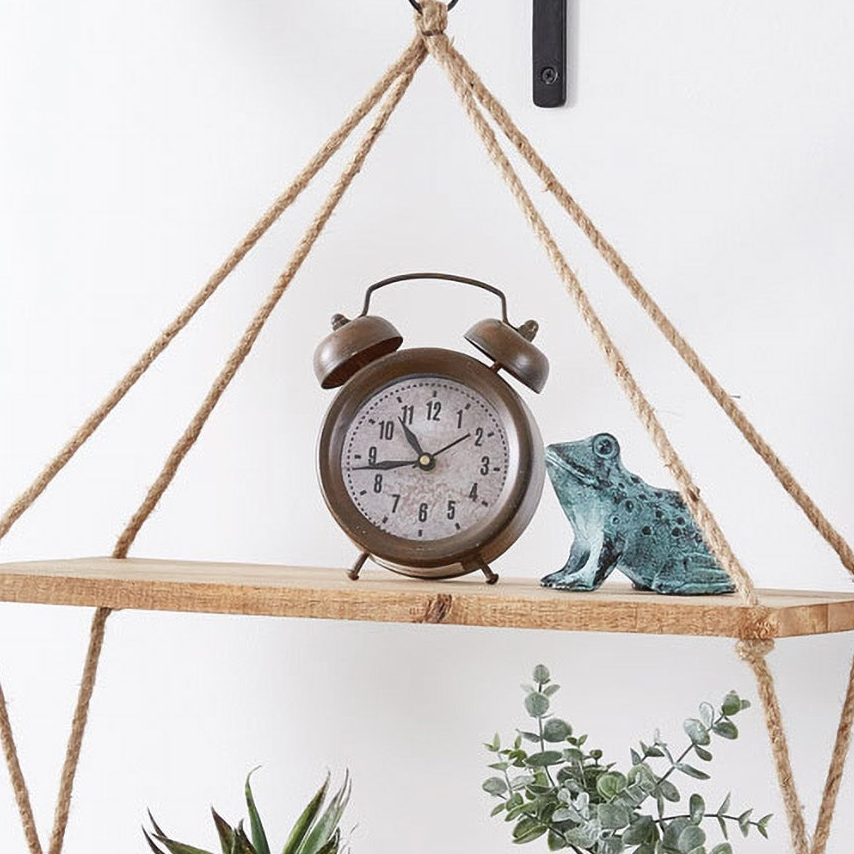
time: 10:43
